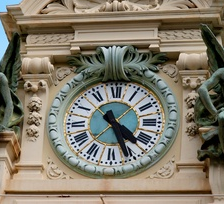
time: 4:26
